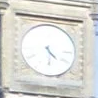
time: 4:29
